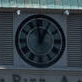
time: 12:58
